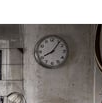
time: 8:06
